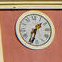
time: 1:33
